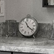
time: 11:22
